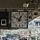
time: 12:49
